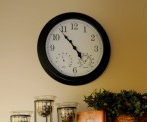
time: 4:53
